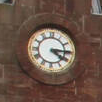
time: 4:15
